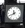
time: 11:40
